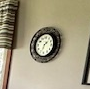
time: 1:33
